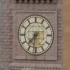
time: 7:31
